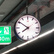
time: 7:50
